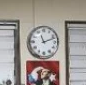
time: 11:11
